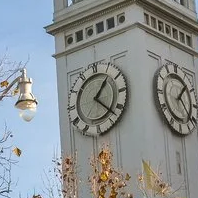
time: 1:22
